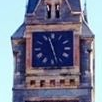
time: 11:27
